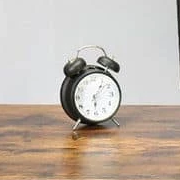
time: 6:06
